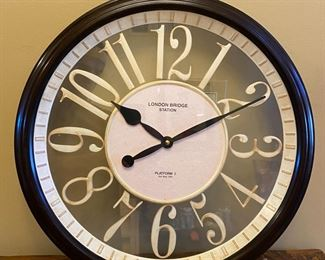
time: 10:10
